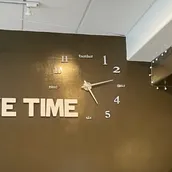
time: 5:12
